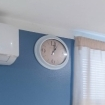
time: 1:02
